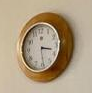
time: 3:29
